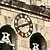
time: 8:11
